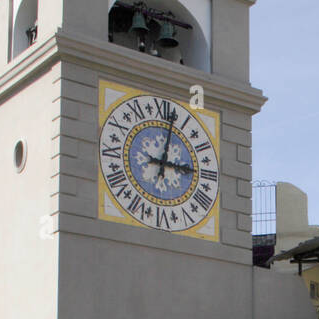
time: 3:02
